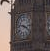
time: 3:47
